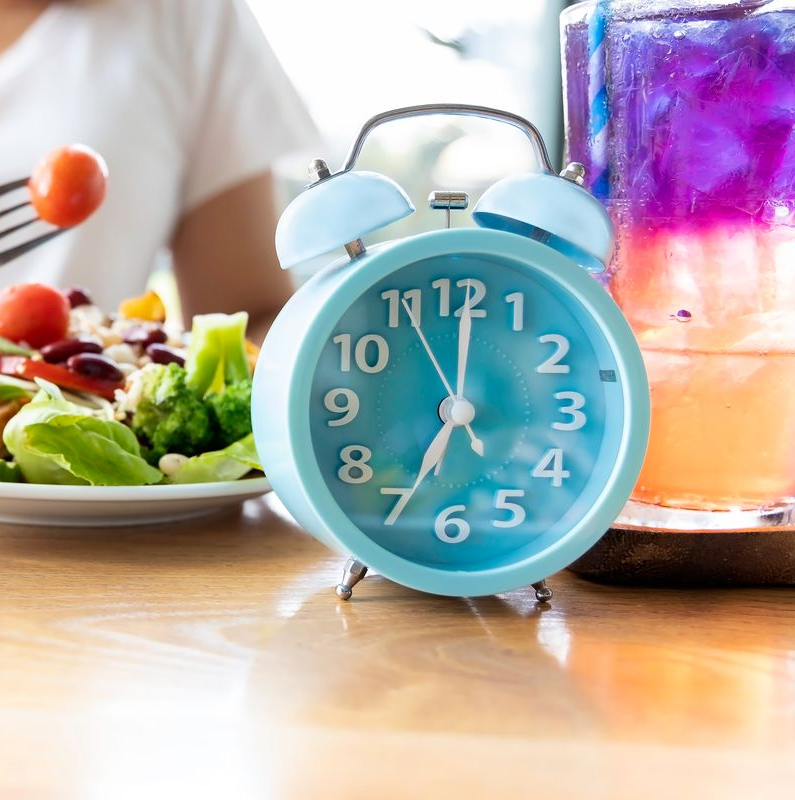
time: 7:00
